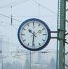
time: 10:31
